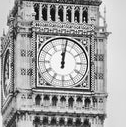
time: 12:01
